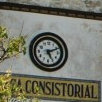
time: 5:10
